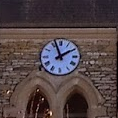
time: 1:56
